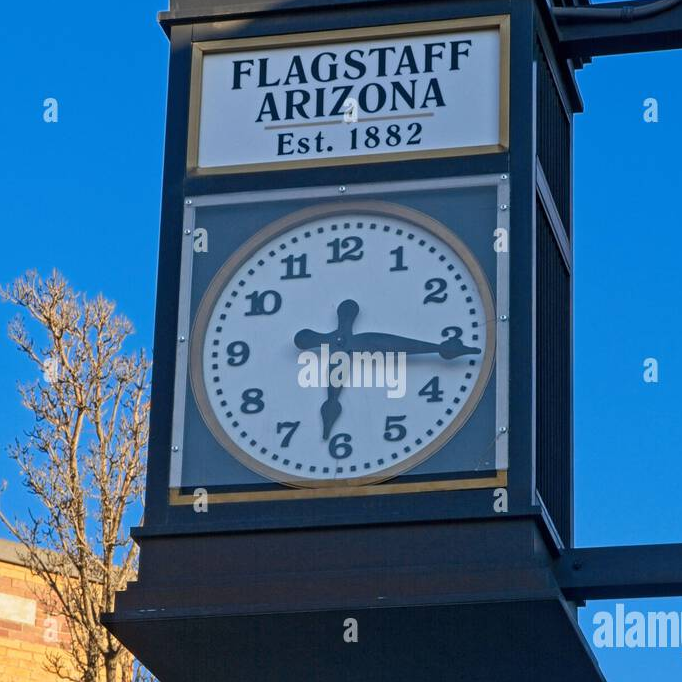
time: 6:16
